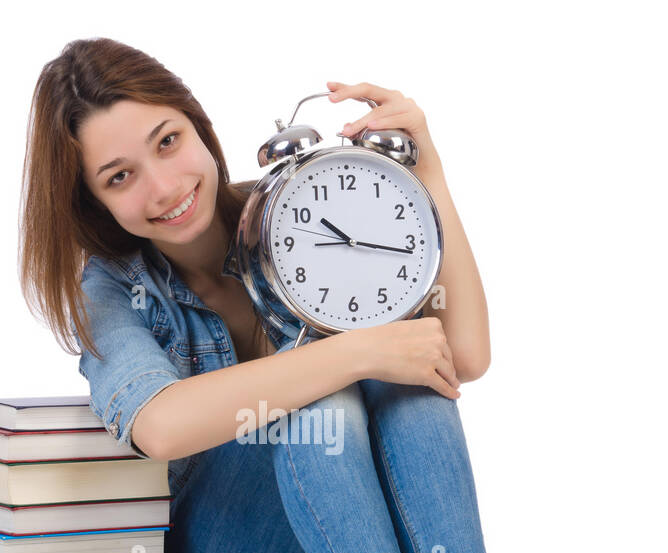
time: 10:16
